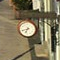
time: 6:41
